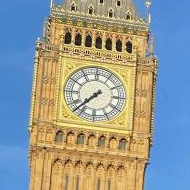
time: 7:37
